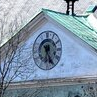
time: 6:25
